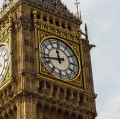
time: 11:42
